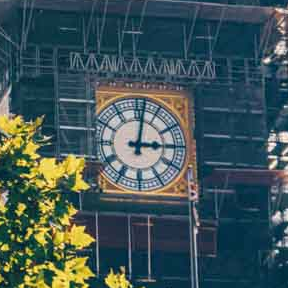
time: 3:02
